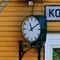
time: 11:09
